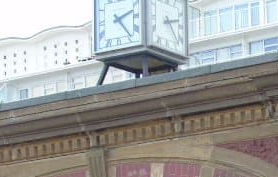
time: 2:23
